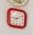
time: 9:10
